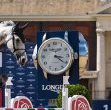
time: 3:21
